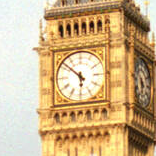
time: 5:51
